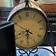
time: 5:50
